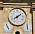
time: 8:09
